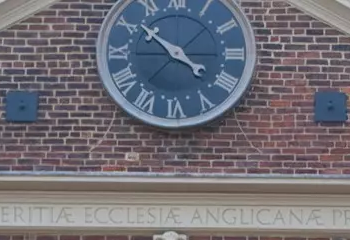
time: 3:51
